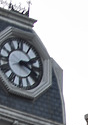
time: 2:18
